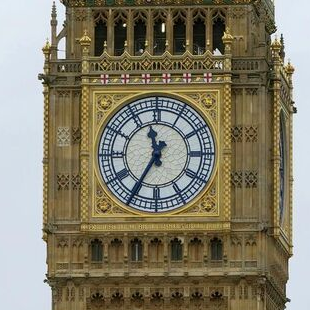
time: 11:34
